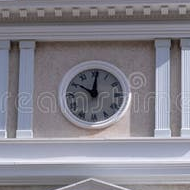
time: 10:00
